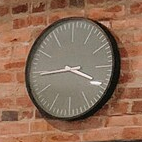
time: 3:44
